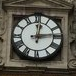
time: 12:13
